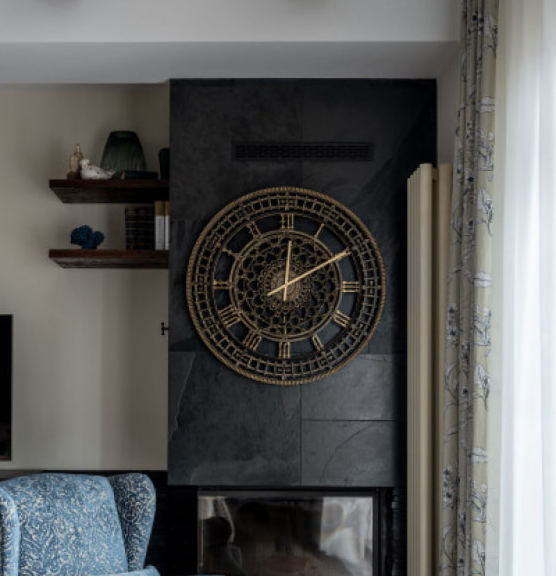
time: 12:09
